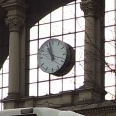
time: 10:58
